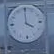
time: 4:00
